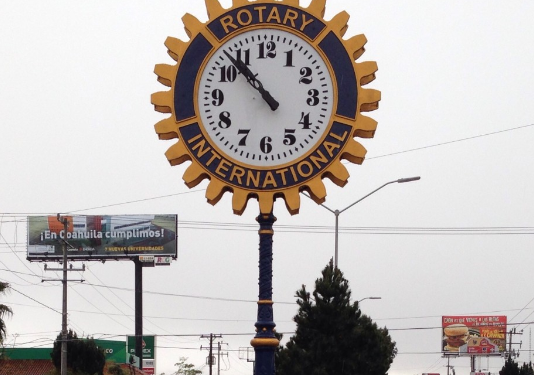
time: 10:52
